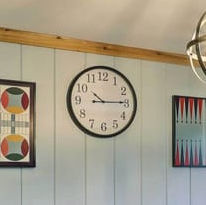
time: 10:14
